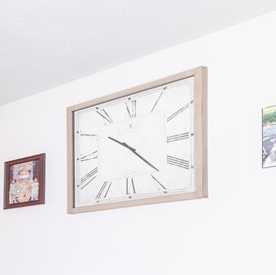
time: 10:23
